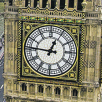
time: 12:46
